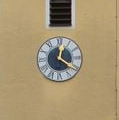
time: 12:20
